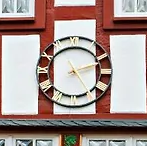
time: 2:24
